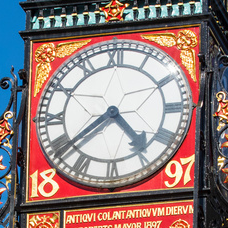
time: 4:39
